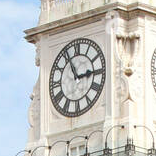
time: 2:55
